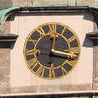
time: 12:16
